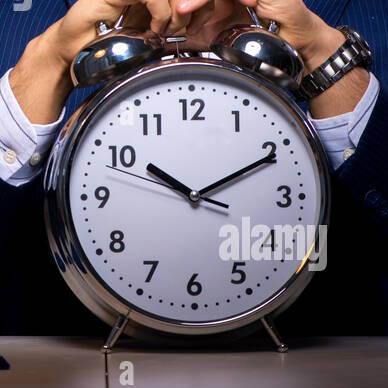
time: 10:10
